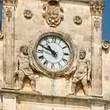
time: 10:49
